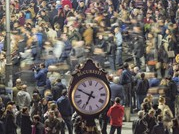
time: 6:49
